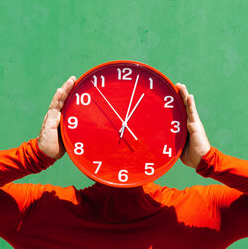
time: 1:02
